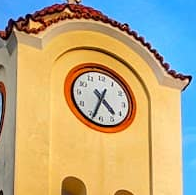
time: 4:33
